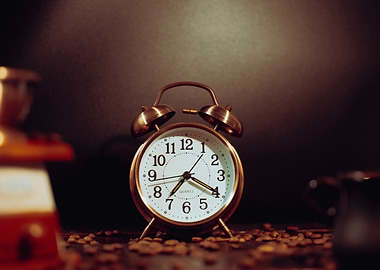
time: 7:19
